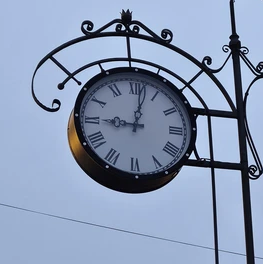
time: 9:01
